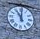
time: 11:00
